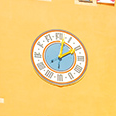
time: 2:02
